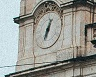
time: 6:32
